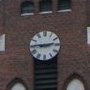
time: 2:45
